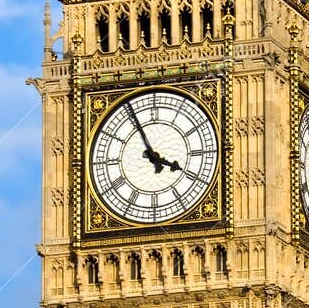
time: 3:55
